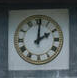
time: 2:00
